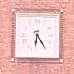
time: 6:24
